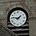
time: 1:46
